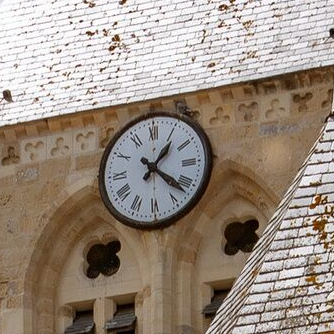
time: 1:21
